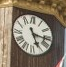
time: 5:16
